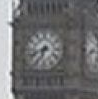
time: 6:41
